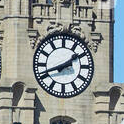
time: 1:41
